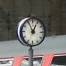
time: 12:55
